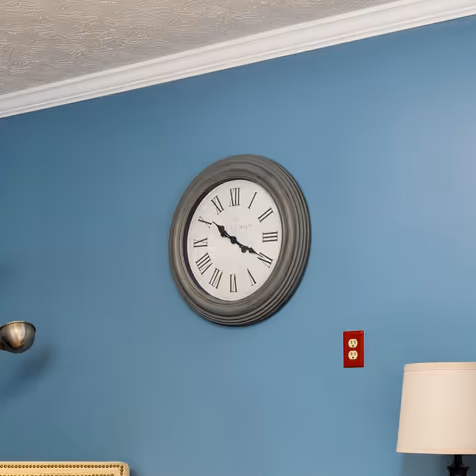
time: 10:19
